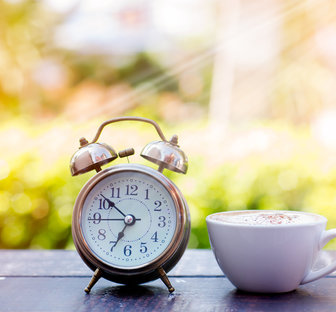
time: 6:51
